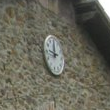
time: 11:46
